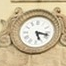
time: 5:17
